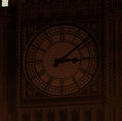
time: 3:08
